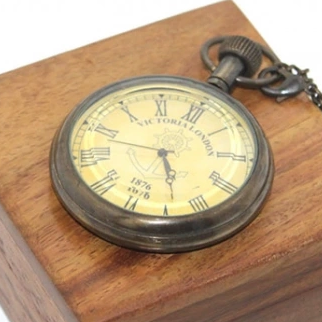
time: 5:48
